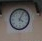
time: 4:04
